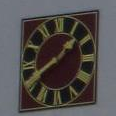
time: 1:40
